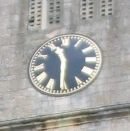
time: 11:30
